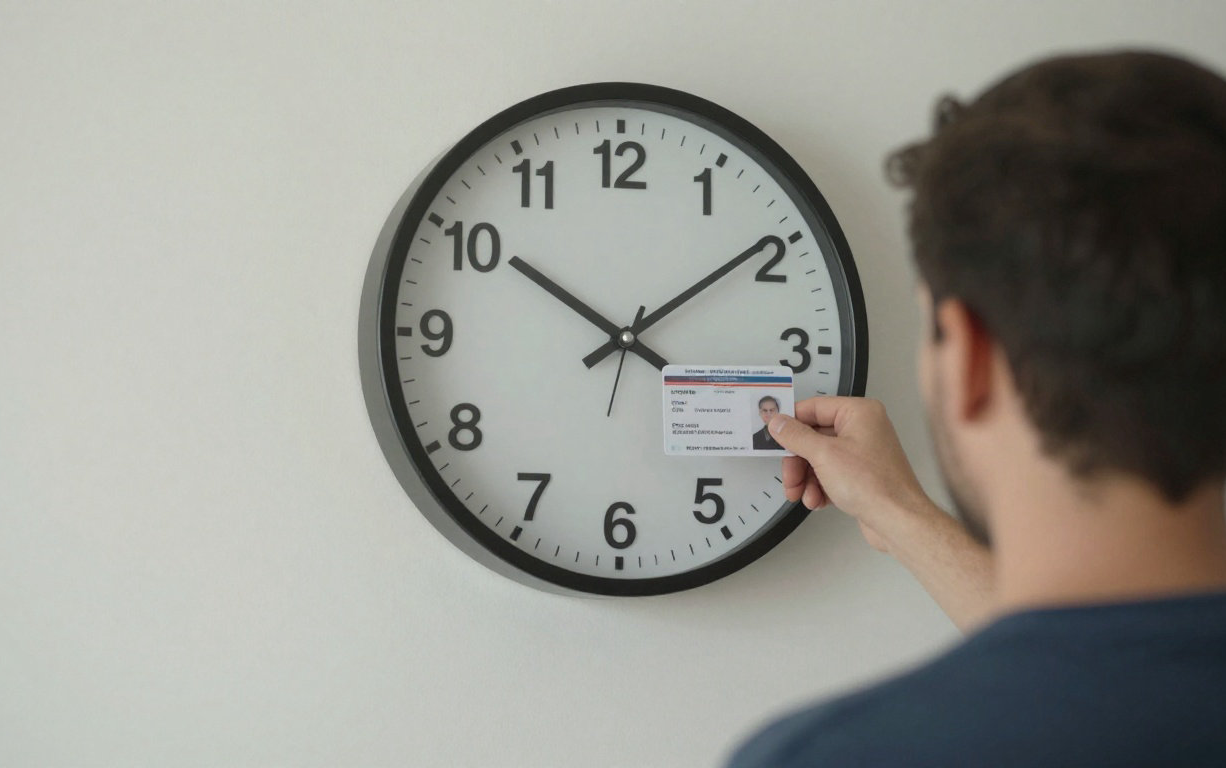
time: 10:09
